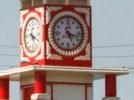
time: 5:18
